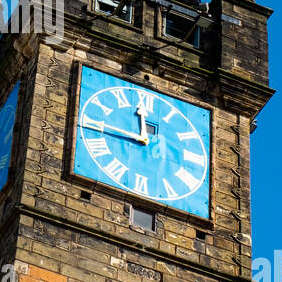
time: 11:44
